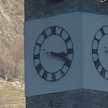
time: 3:18
